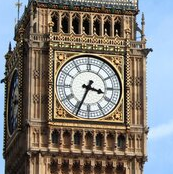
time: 3:34
